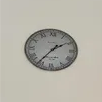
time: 1:36
